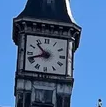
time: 10:41
